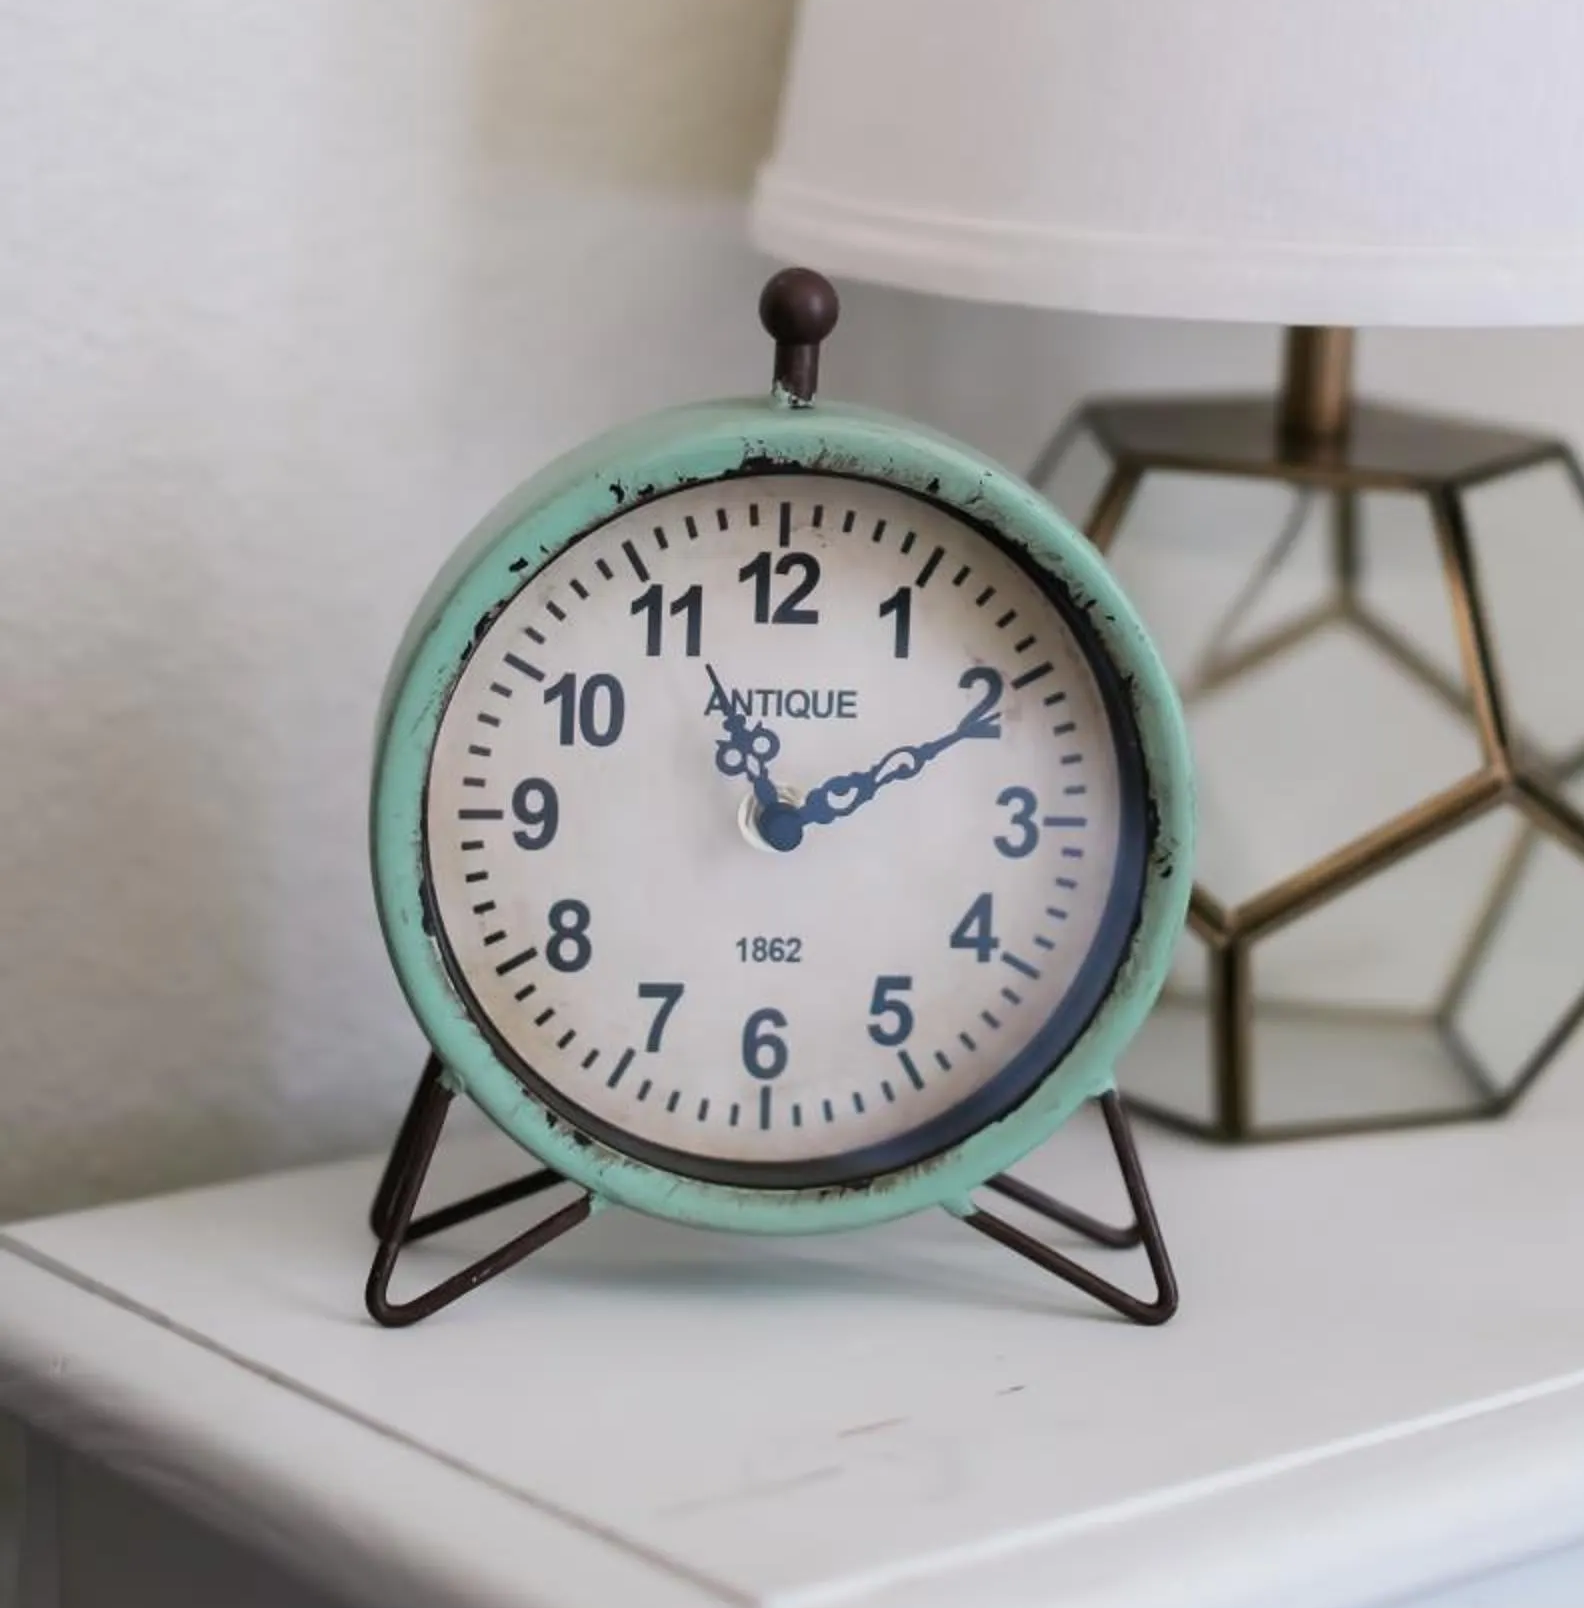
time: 11:10
